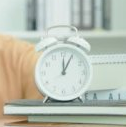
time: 12:04
